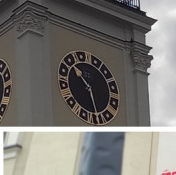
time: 10:28
